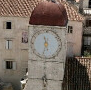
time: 5:32
